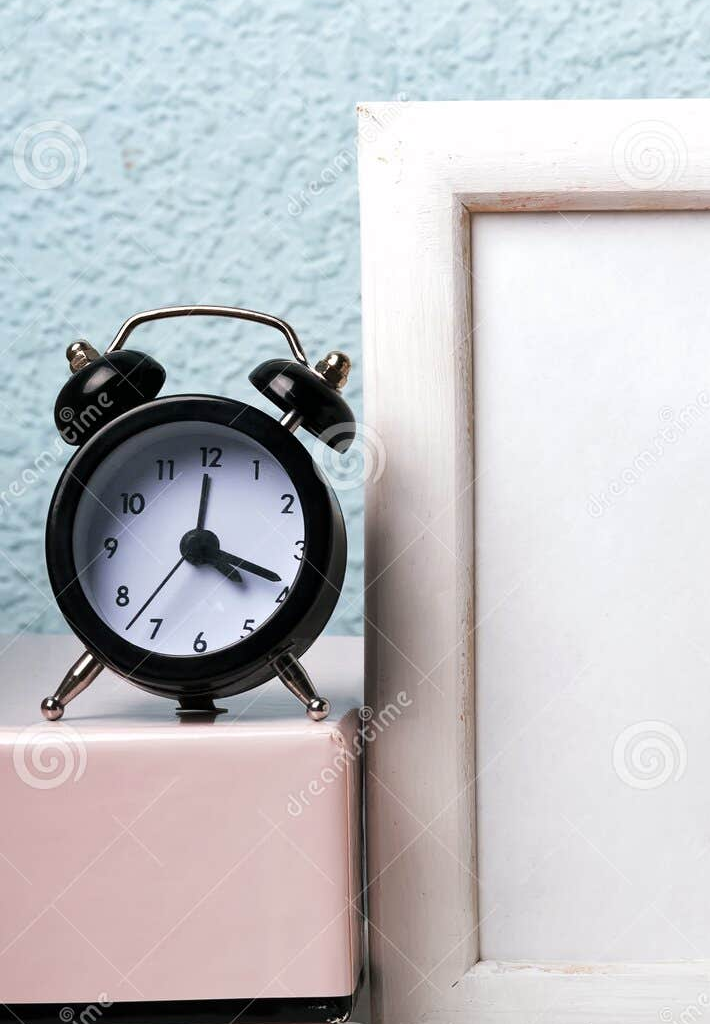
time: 4:18
